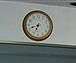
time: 6:41
